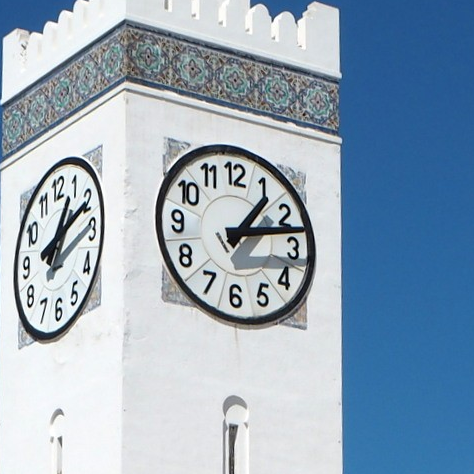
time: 1:12
